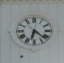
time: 6:21
